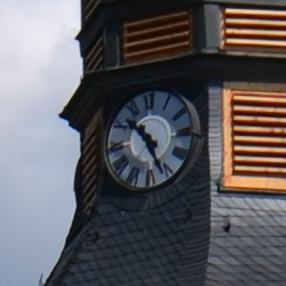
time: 10:26
